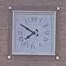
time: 7:50
